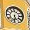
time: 5:31
